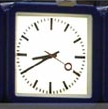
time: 8:40
